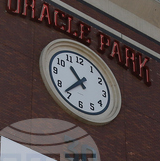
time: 10:36
